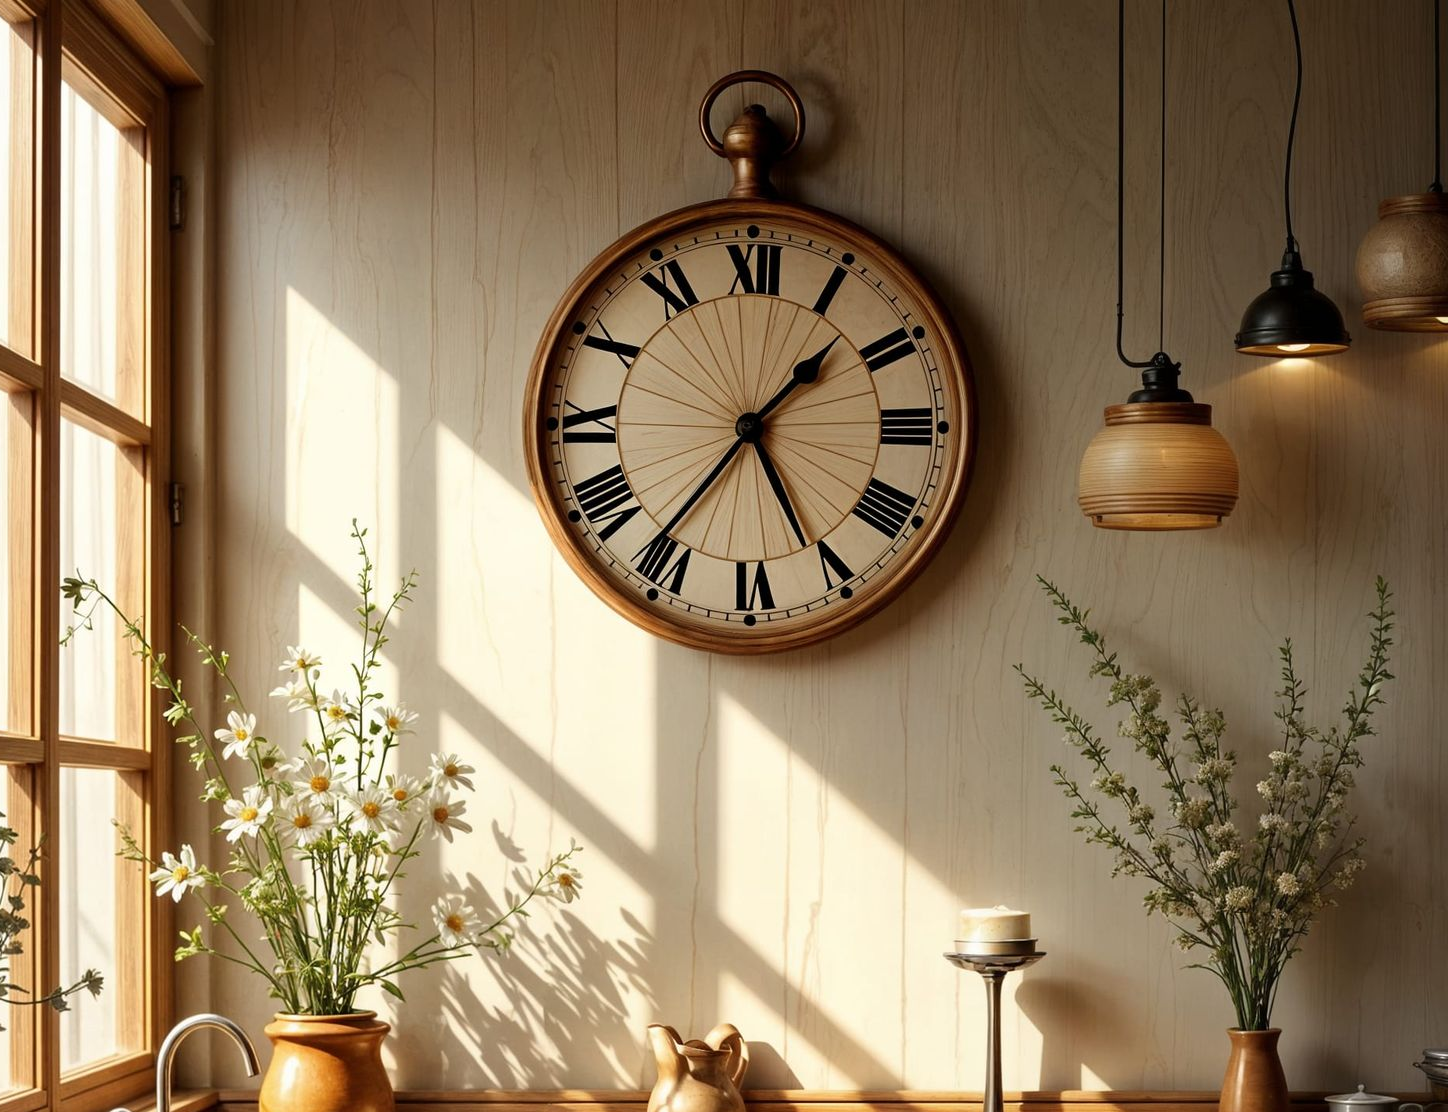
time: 1:36
